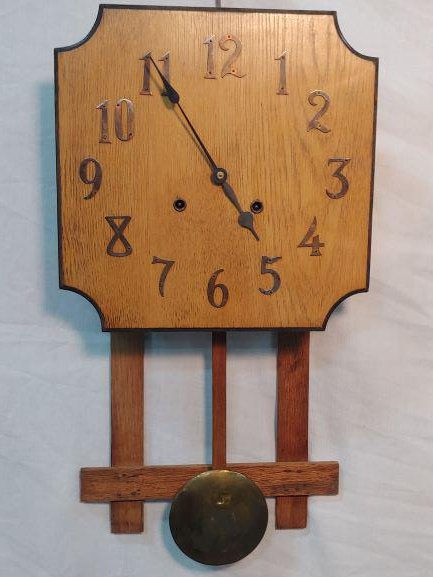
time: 4:54
